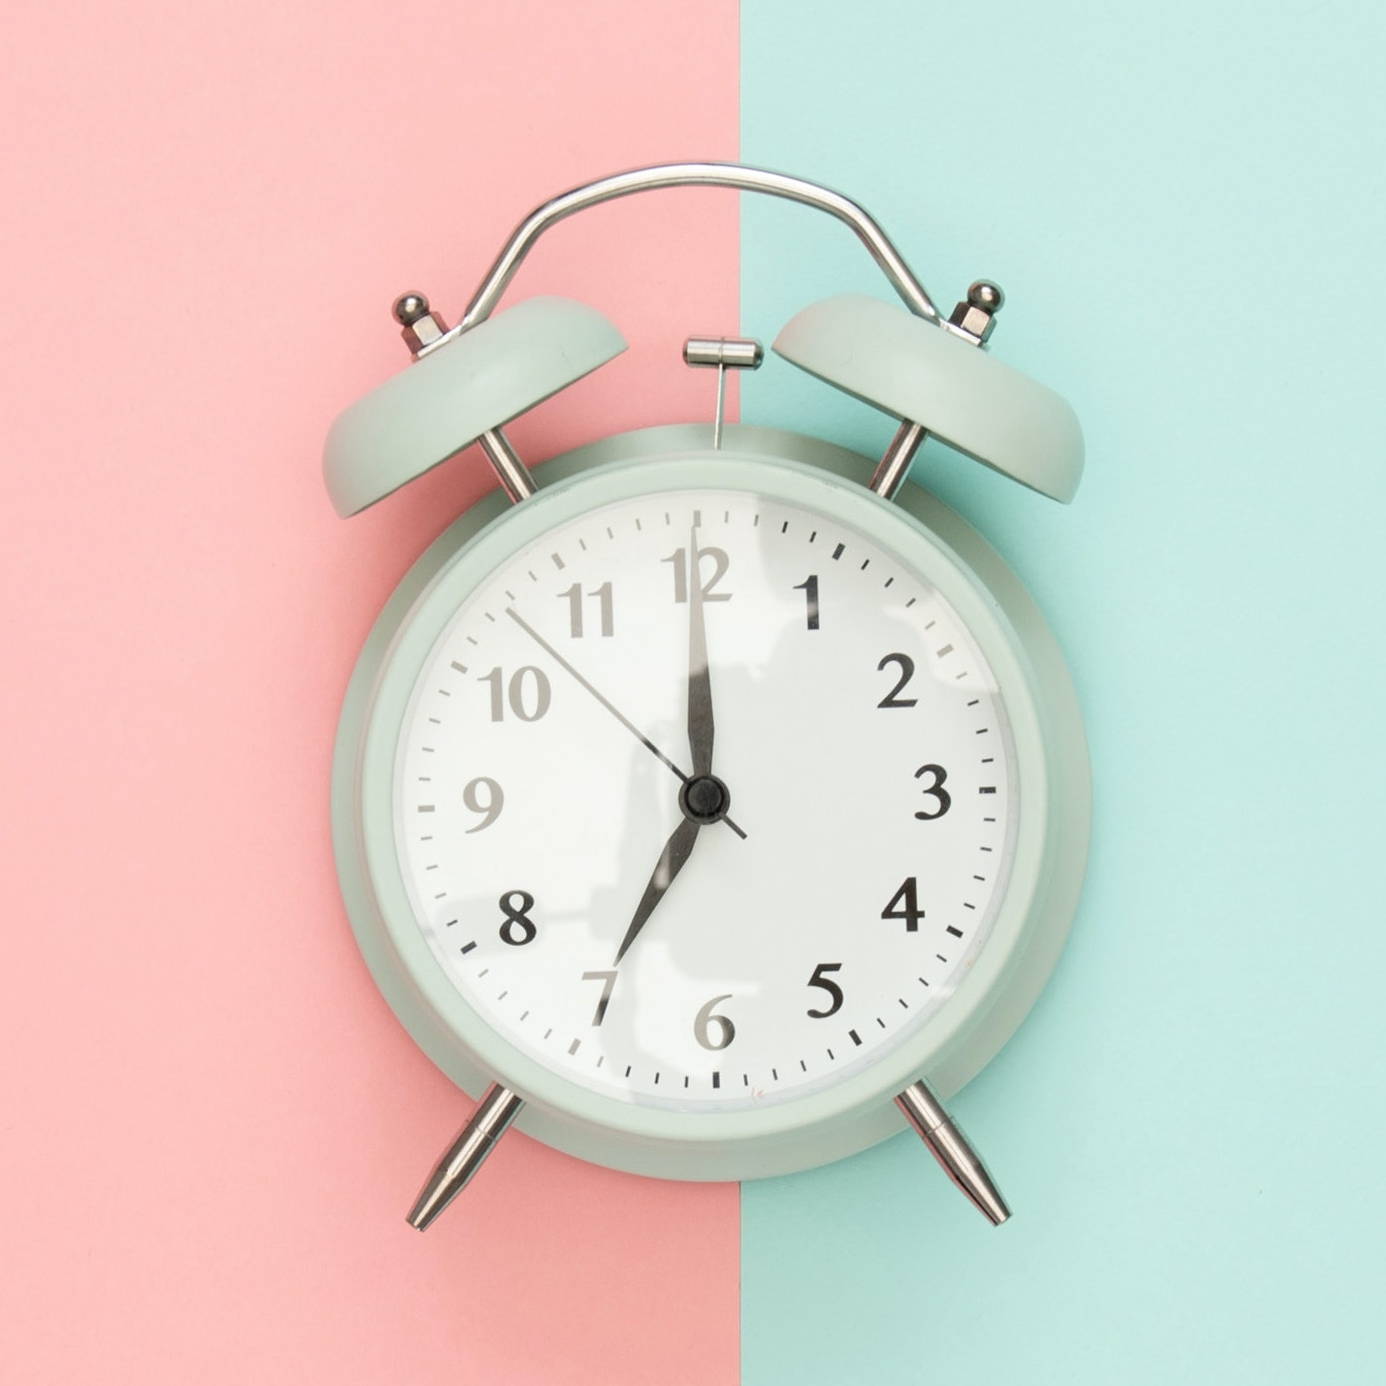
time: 7:00
